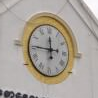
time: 11:45
